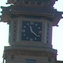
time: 11:21
